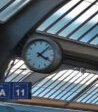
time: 4:07
